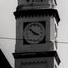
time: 3:52
